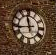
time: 11:43
